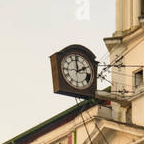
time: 1:59
